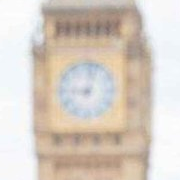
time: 9:02
